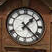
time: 1:22
